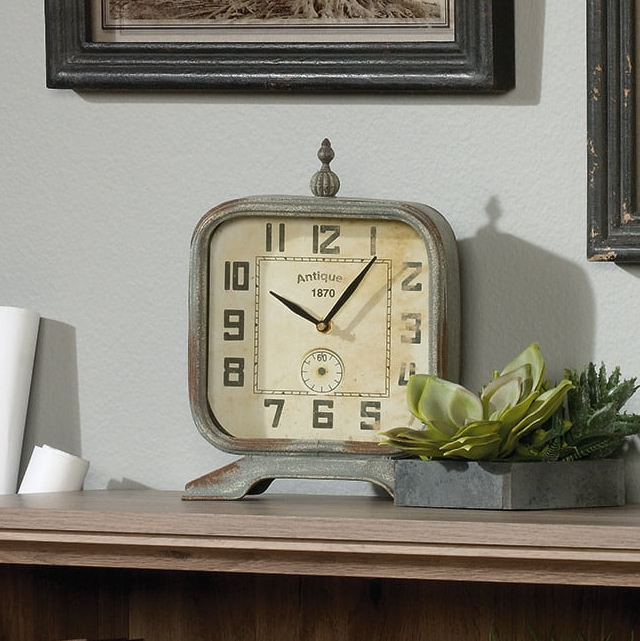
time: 10:06
